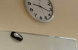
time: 9:17
